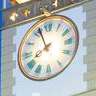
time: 7:56
